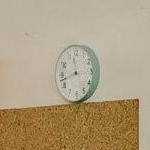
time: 11:42
